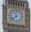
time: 11:37
